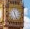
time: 11:26
